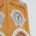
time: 6:06
